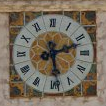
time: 2:28
